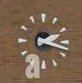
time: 2:17
